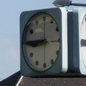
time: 8:45
